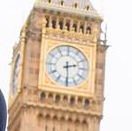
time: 2:29
